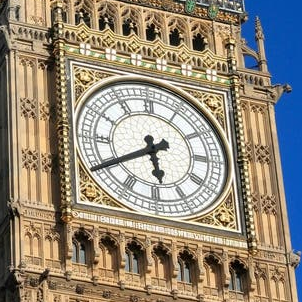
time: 5:40
